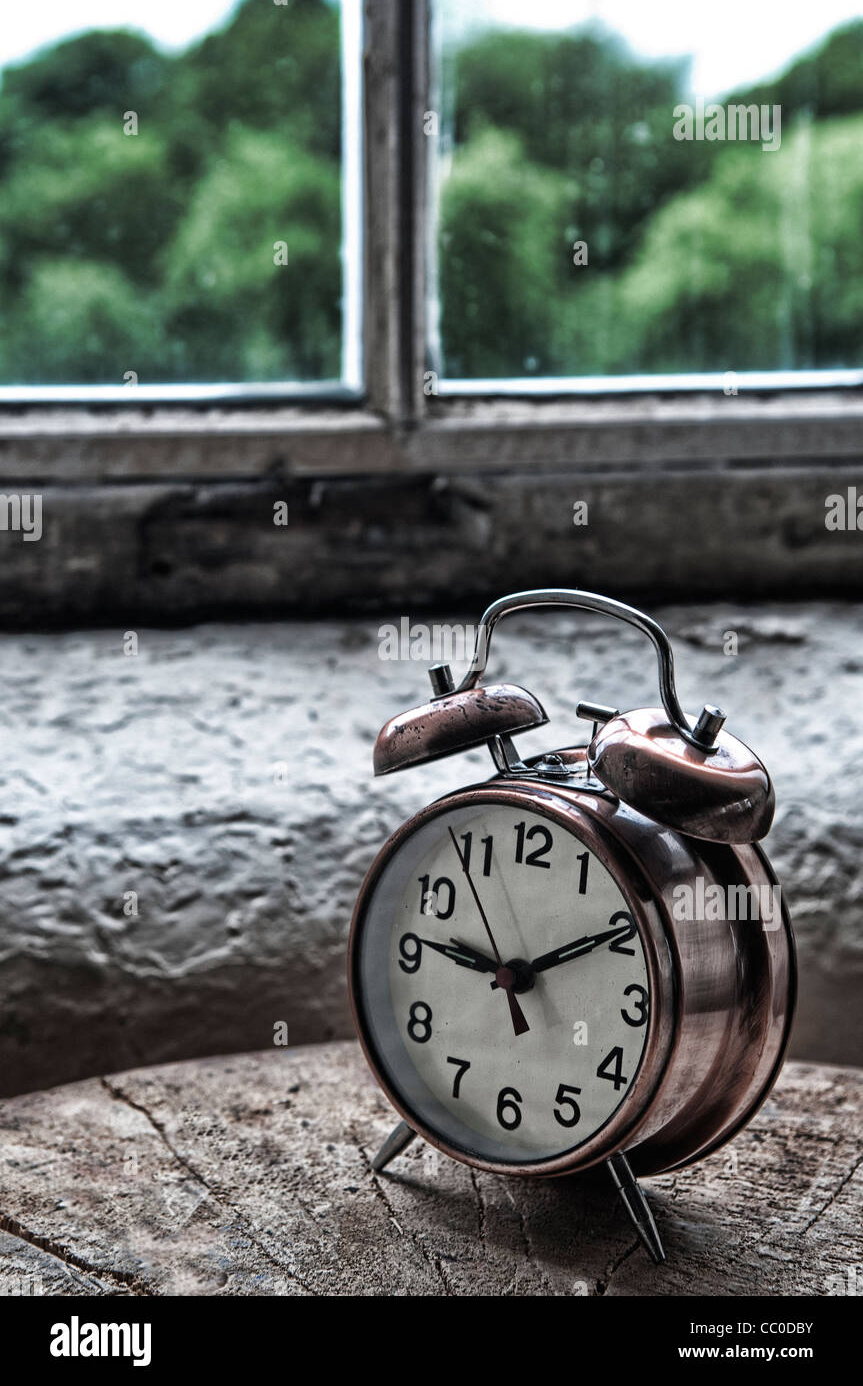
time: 9:10
